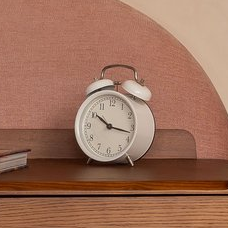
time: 10:17
